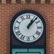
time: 1:07
